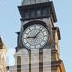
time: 9:07
